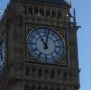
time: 11:02
